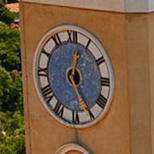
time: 12:25
